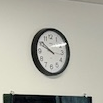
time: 9:50
